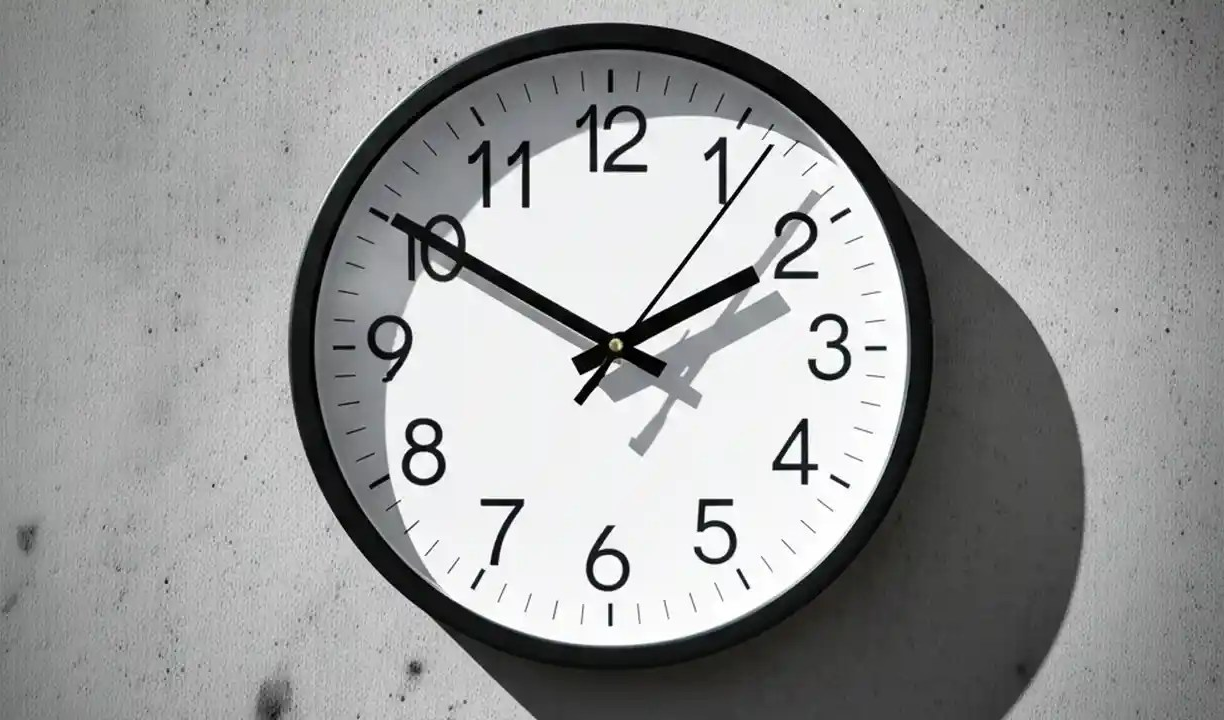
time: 1:50
